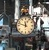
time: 11:47
